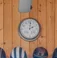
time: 2:01
